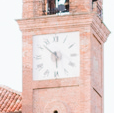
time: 5:52
